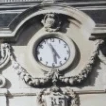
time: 4:28
